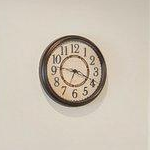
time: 3:46
